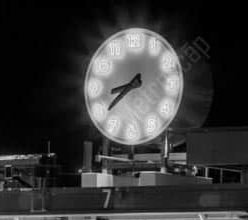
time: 8:38
